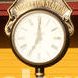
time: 7:00
